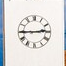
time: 2:44
